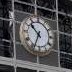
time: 10:34
